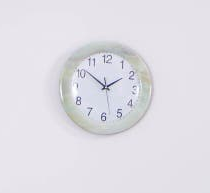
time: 1:51
